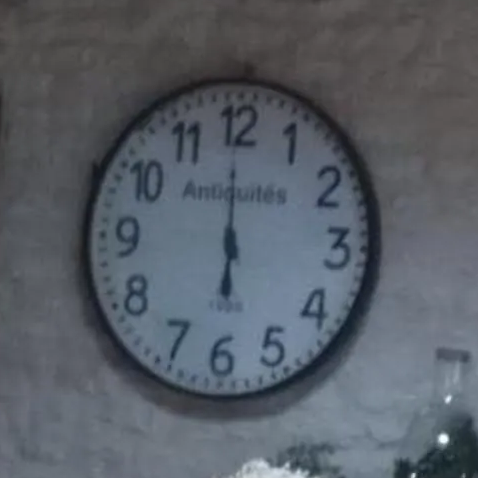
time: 5:59
